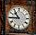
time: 10:45
